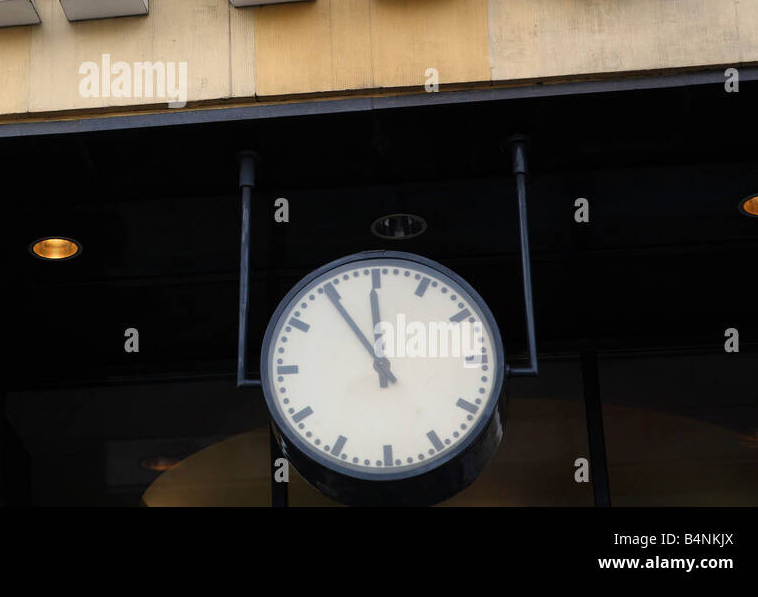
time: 11:54
